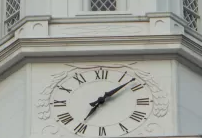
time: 7:07
